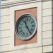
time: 11:24
